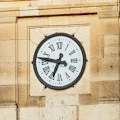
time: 6:46
